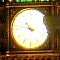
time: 10:47
